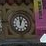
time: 12:03
